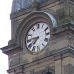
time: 7:46
